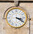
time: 3:20
